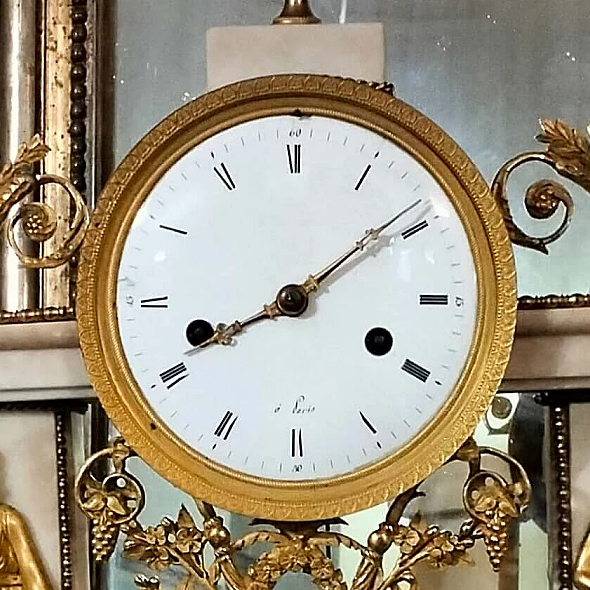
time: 8:08
